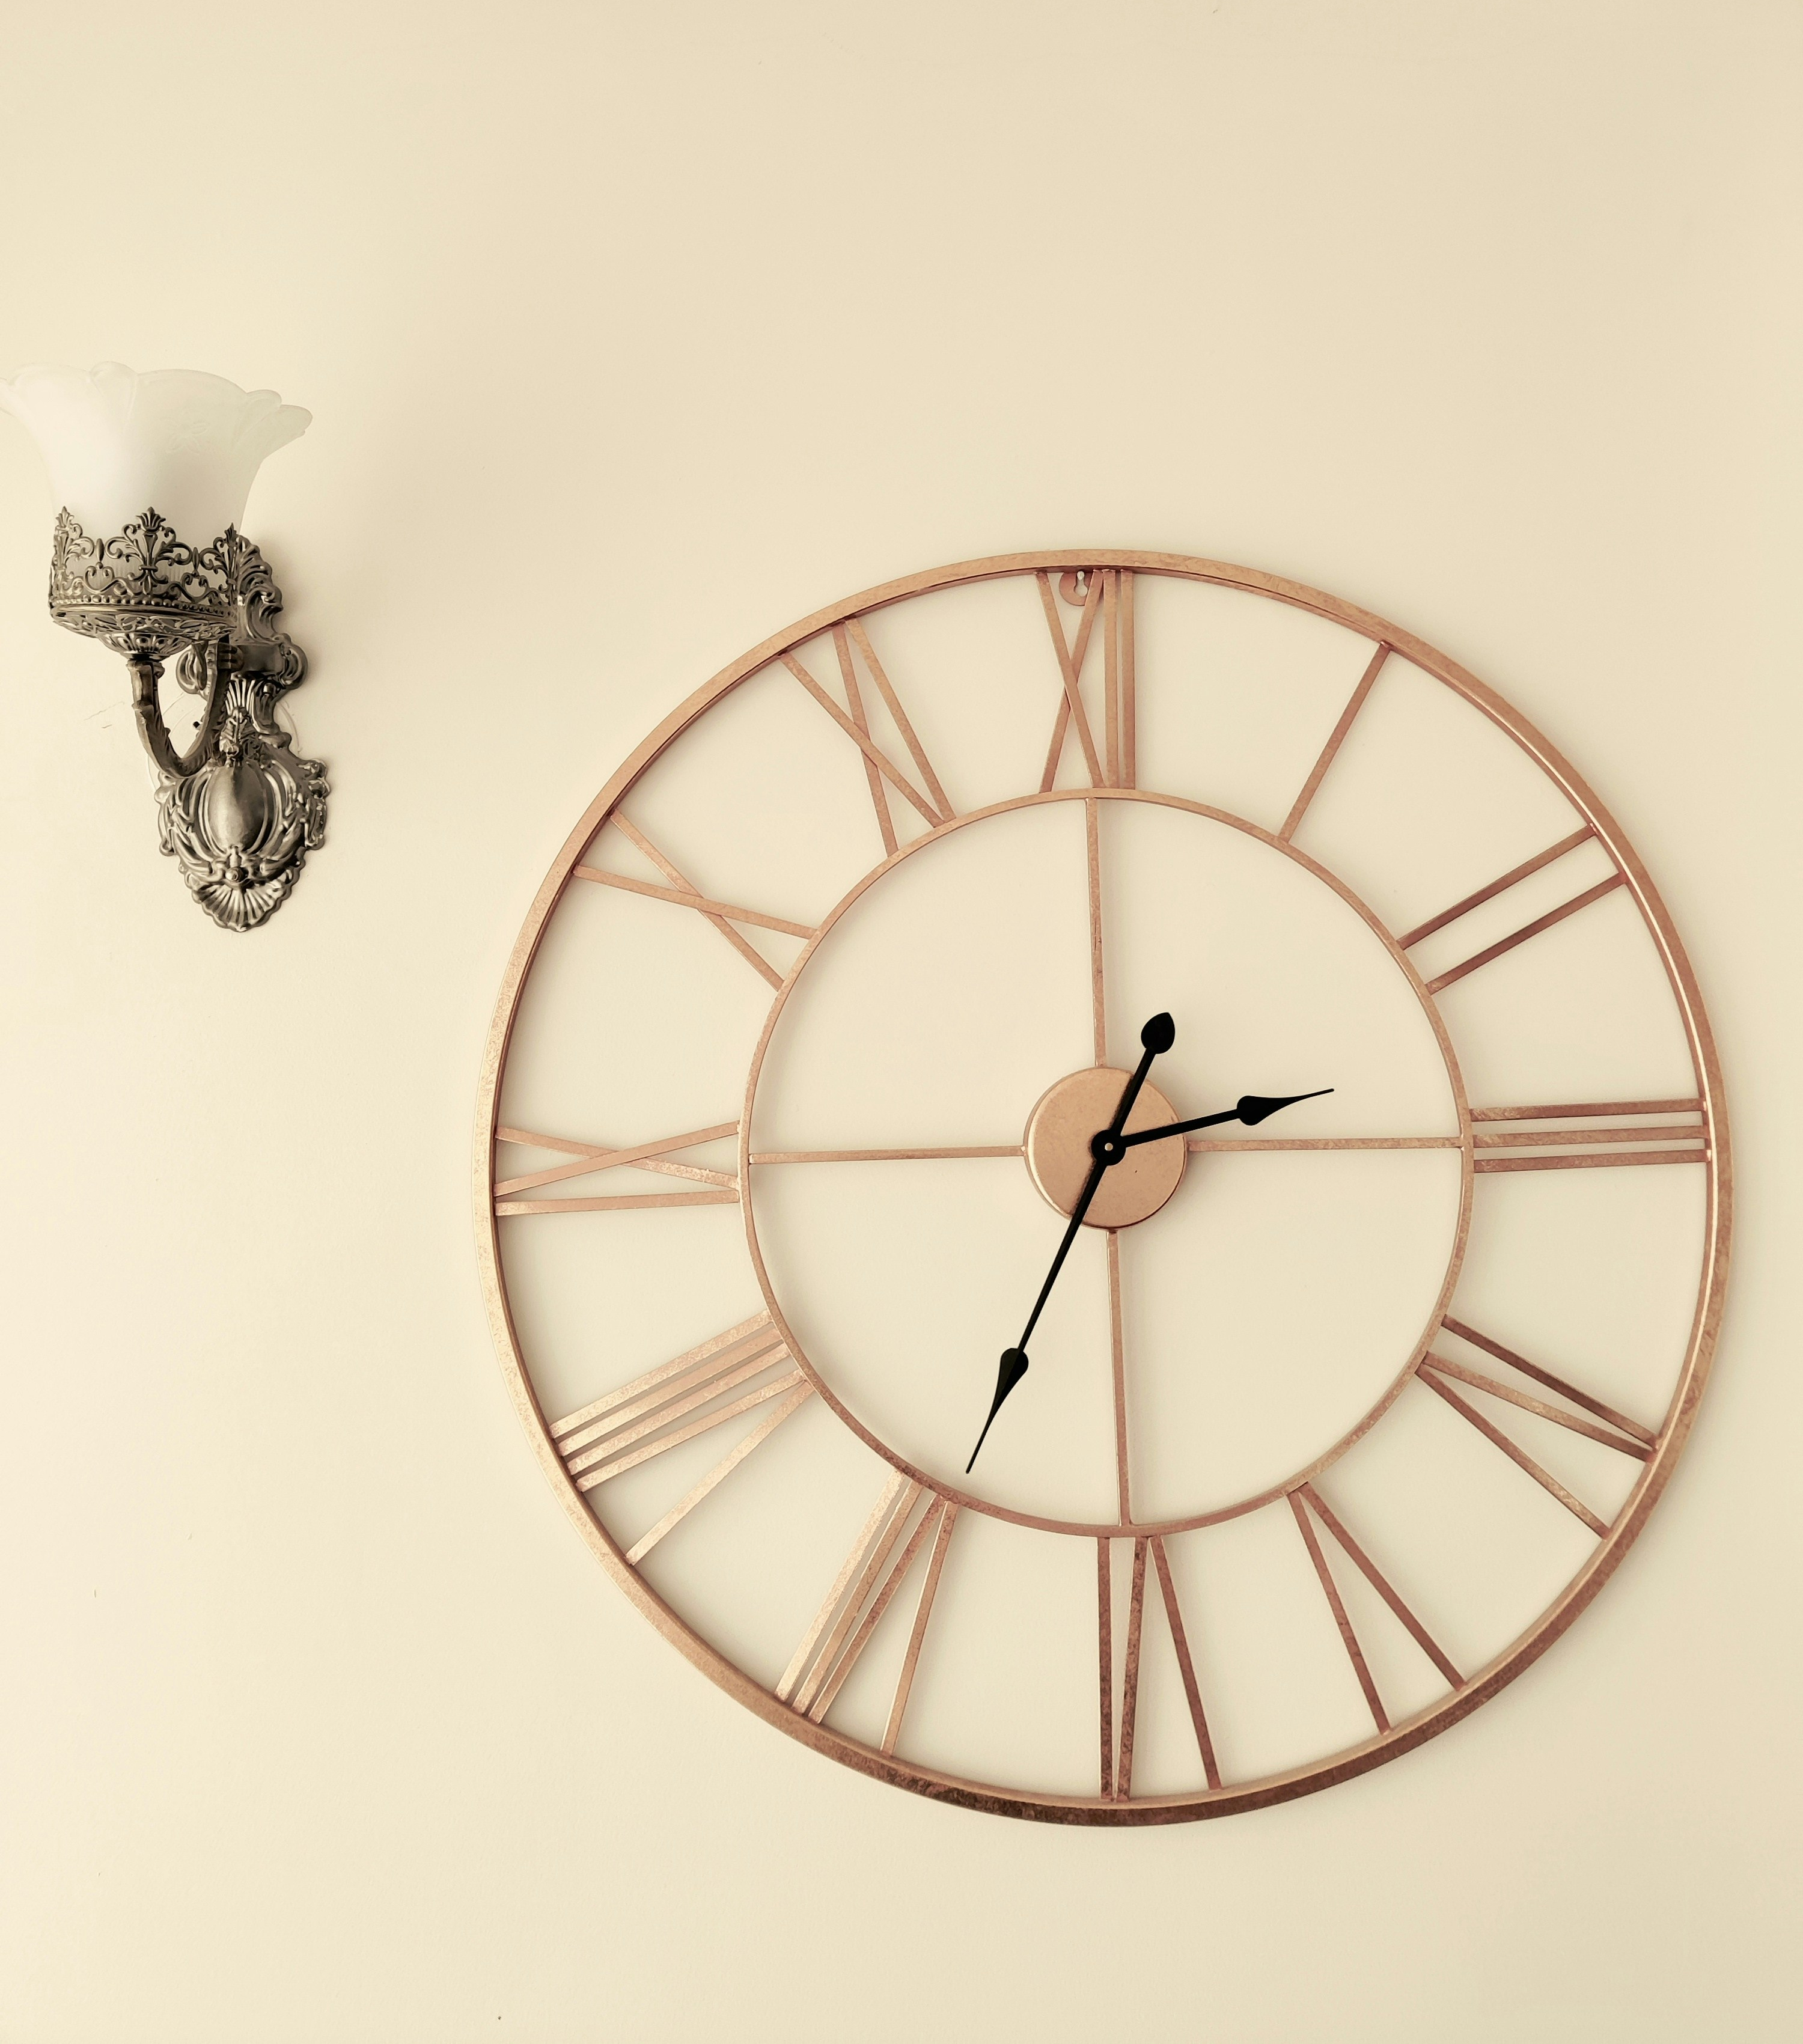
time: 2:34
